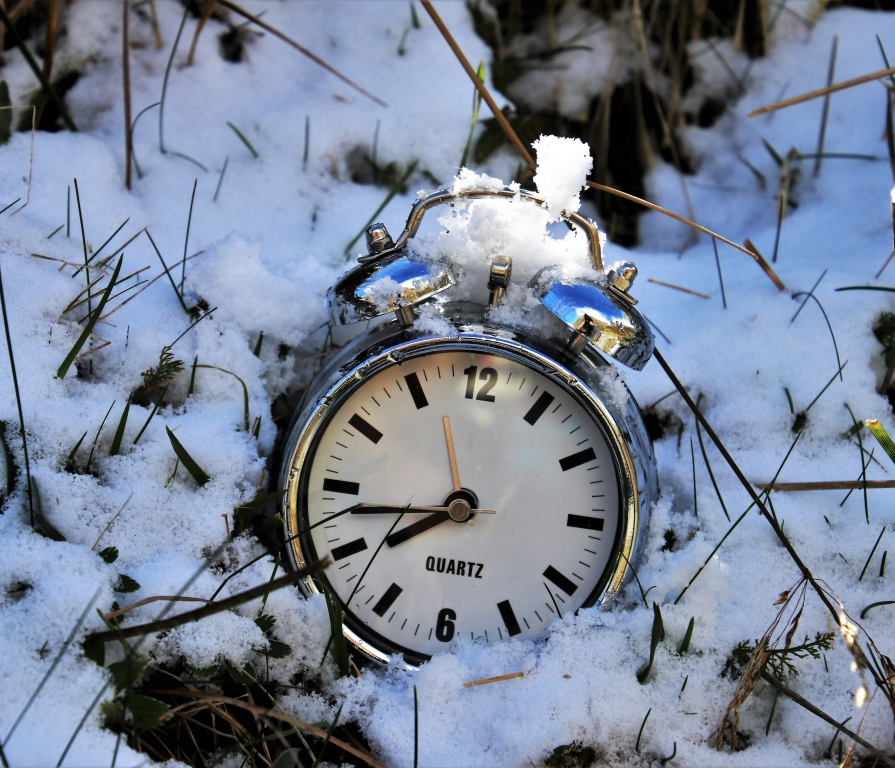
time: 7:43
